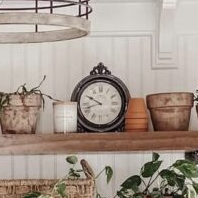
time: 9:41
